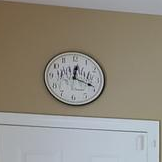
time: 12:18
